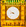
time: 8:51
